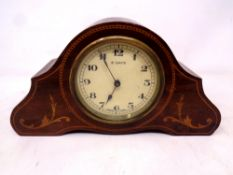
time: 6:55
